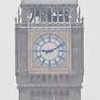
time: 9:10
